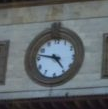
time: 4:47
